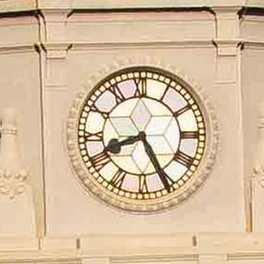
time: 8:25
